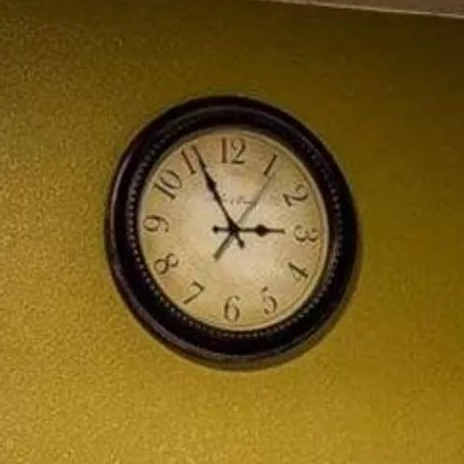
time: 2:55
